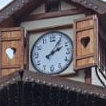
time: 2:05
